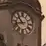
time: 10:42
